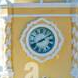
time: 8:09
